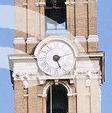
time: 5:12
